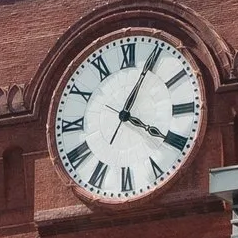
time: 4:04
